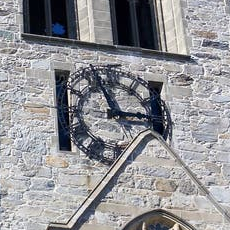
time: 2:56
